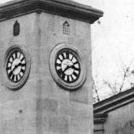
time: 2:37
